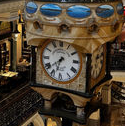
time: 6:38
